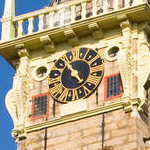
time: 10:22
